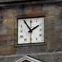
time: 1:54
